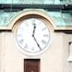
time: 12:24
